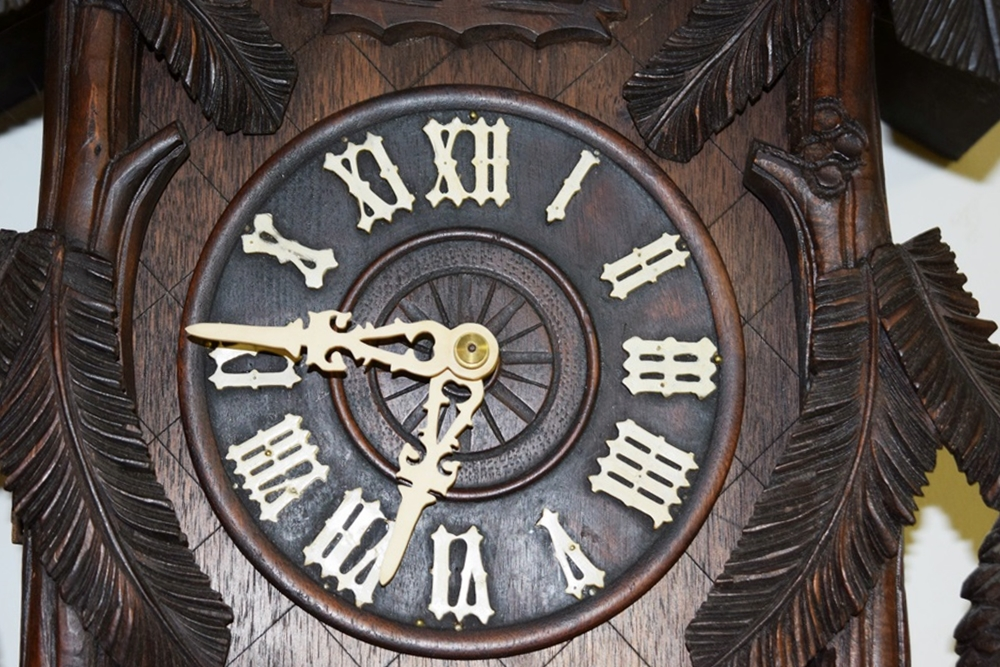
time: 6:46
